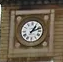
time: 1:11
